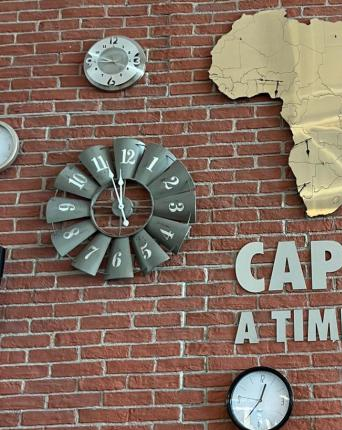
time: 11:57
